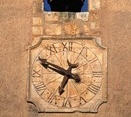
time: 6:49
